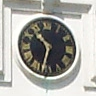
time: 10:32
